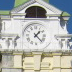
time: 1:23
